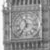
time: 11:35
